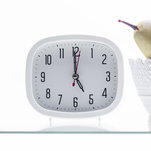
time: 4:59
